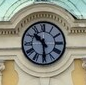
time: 10:29
